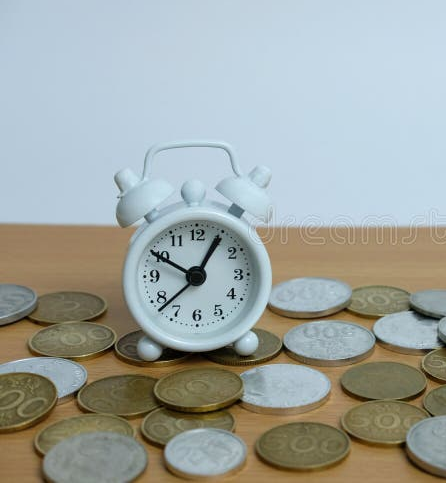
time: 12:49
